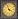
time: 3:57
